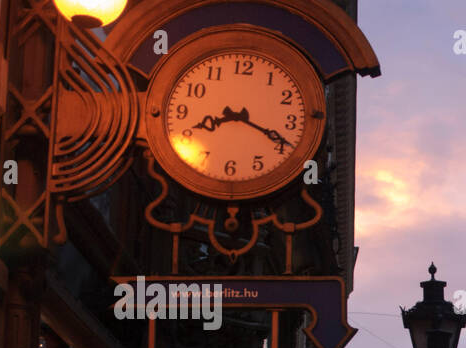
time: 8:18
